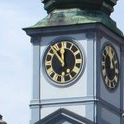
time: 11:52
